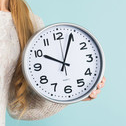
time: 10:04
